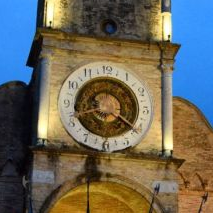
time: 8:21
